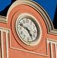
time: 4:48
